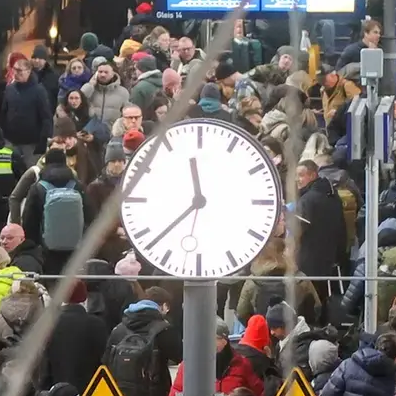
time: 11:37
